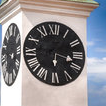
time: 6:17
